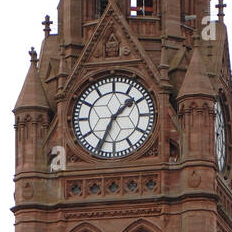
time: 1:34
